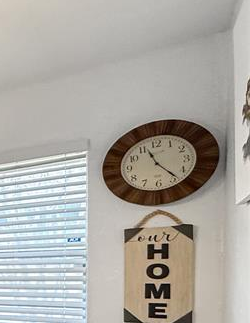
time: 11:23
